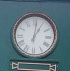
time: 1:01
